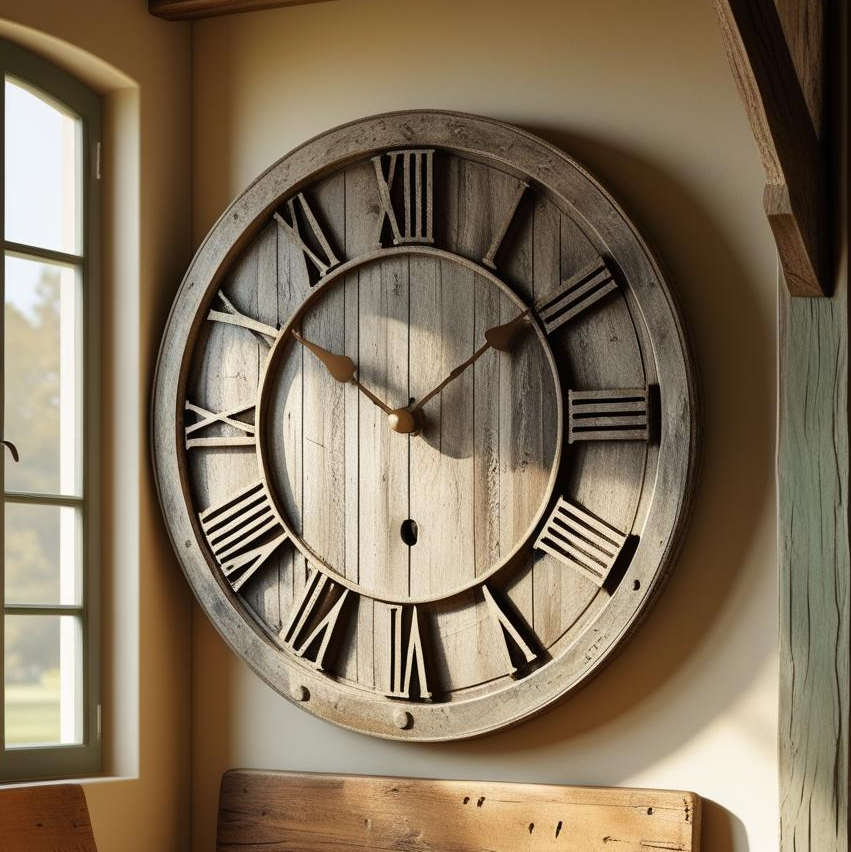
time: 1:50
